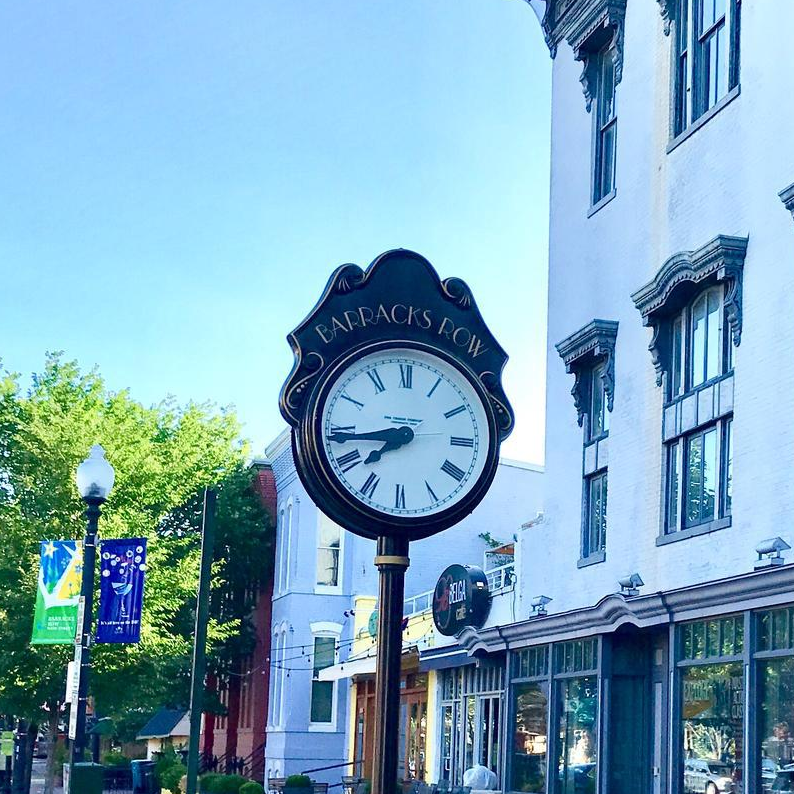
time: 7:43
